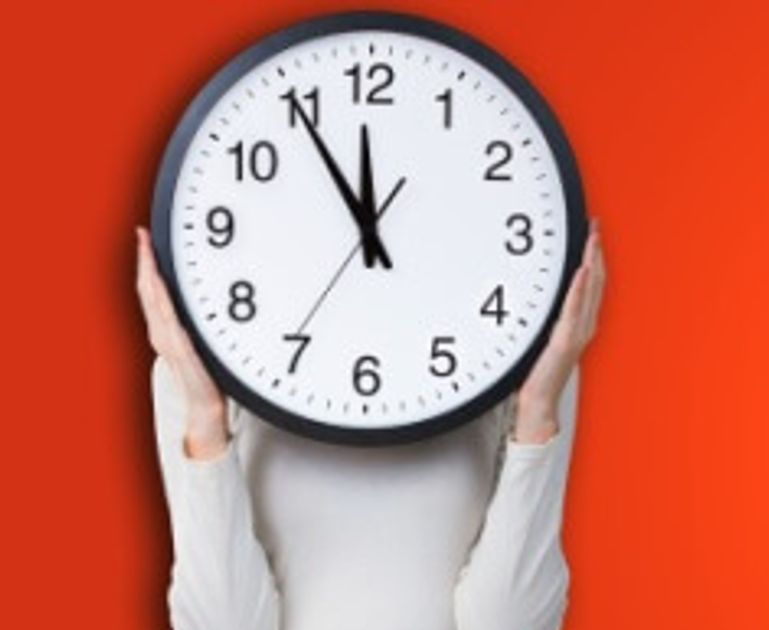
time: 11:54
